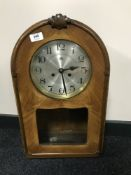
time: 2:28
